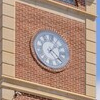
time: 1:22
